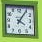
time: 4:05
